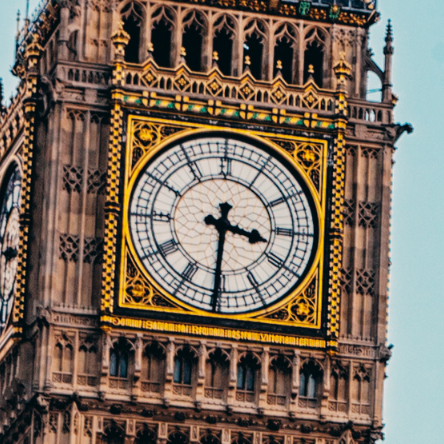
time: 3:30
